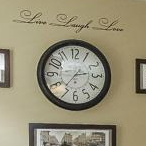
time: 2:36
